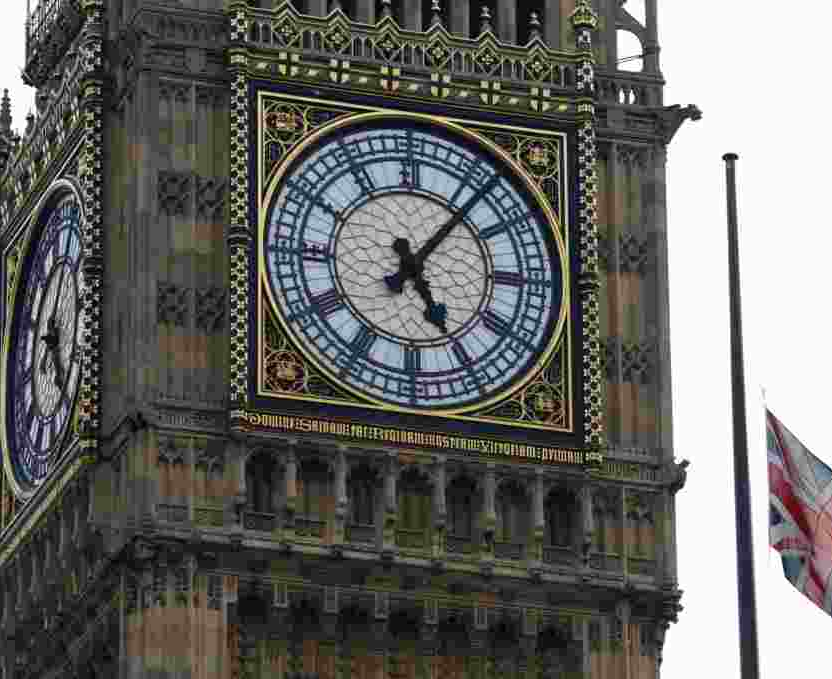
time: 5:06
